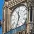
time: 11:32
